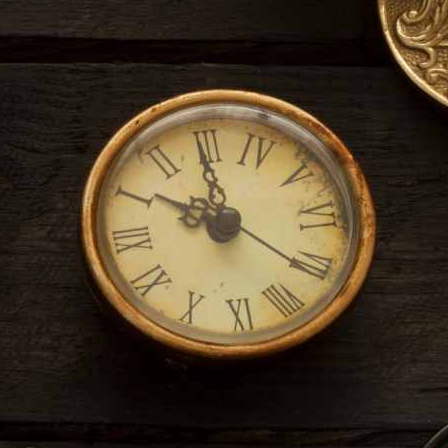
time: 9:59
